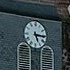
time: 5:15
